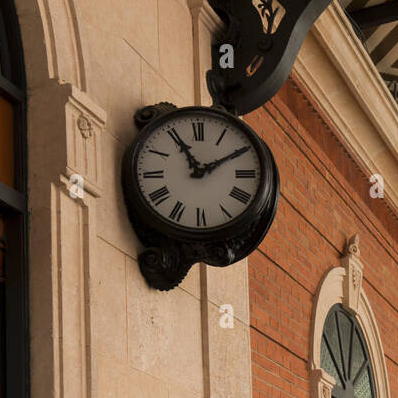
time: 11:10
